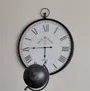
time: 5:45
